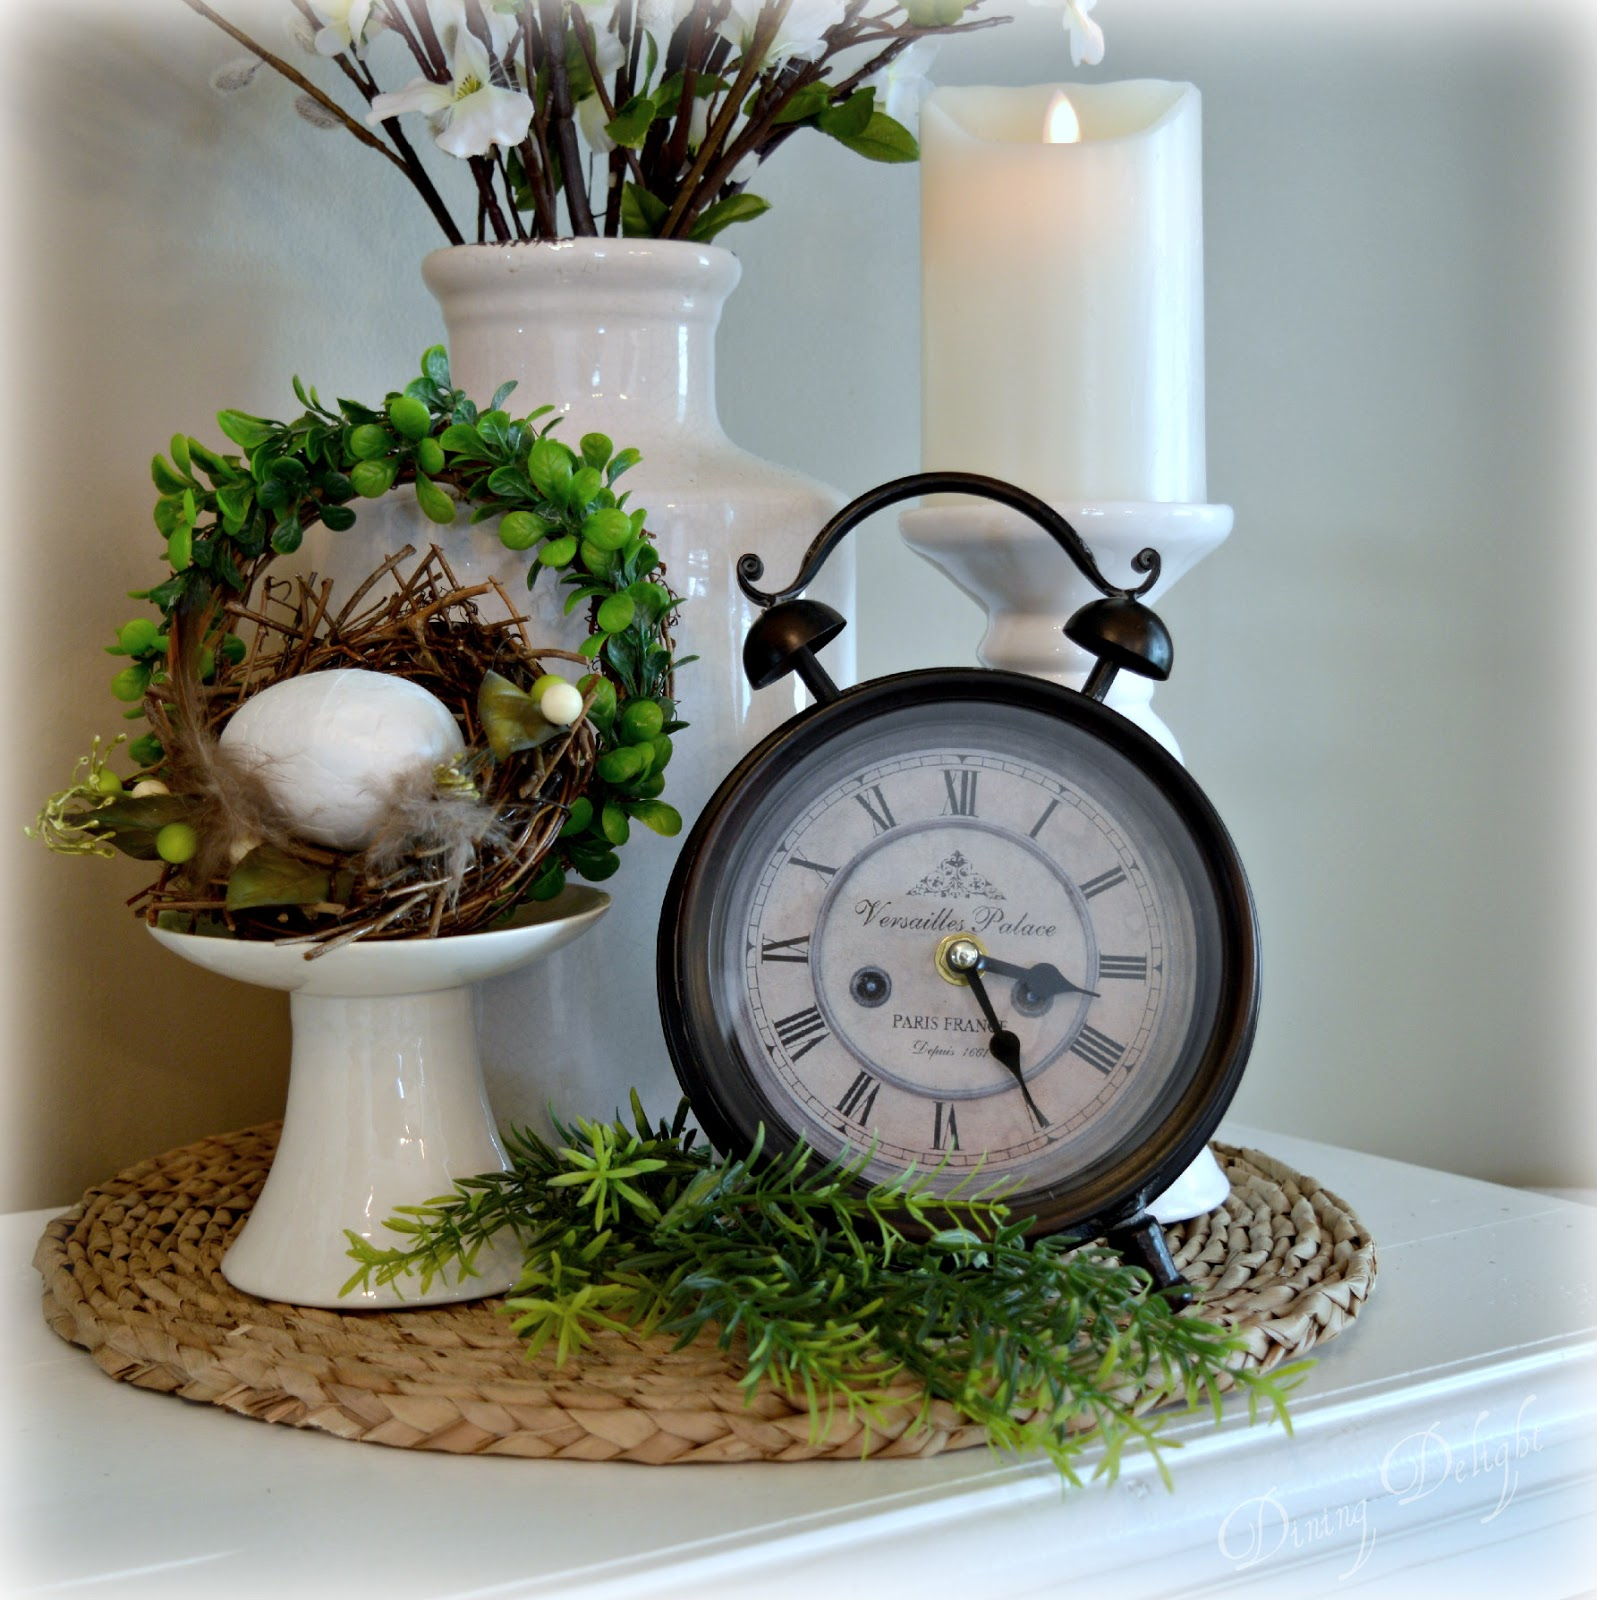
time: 3:24
